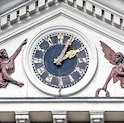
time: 2:04
